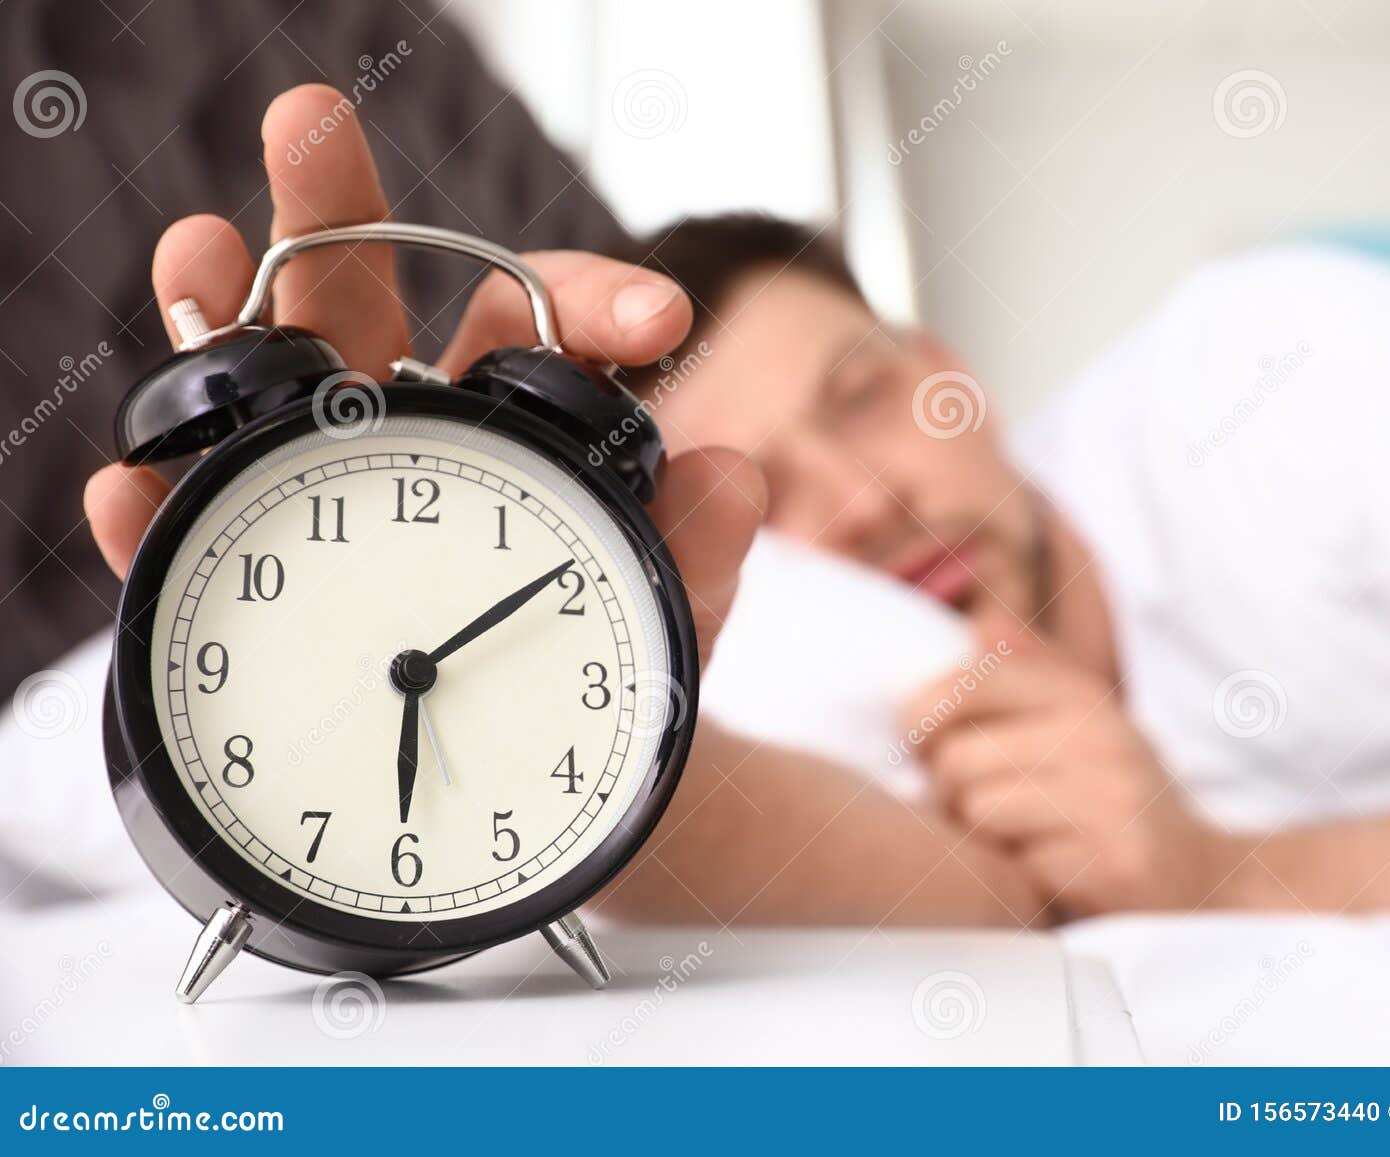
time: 6:08
